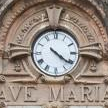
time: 4:21
